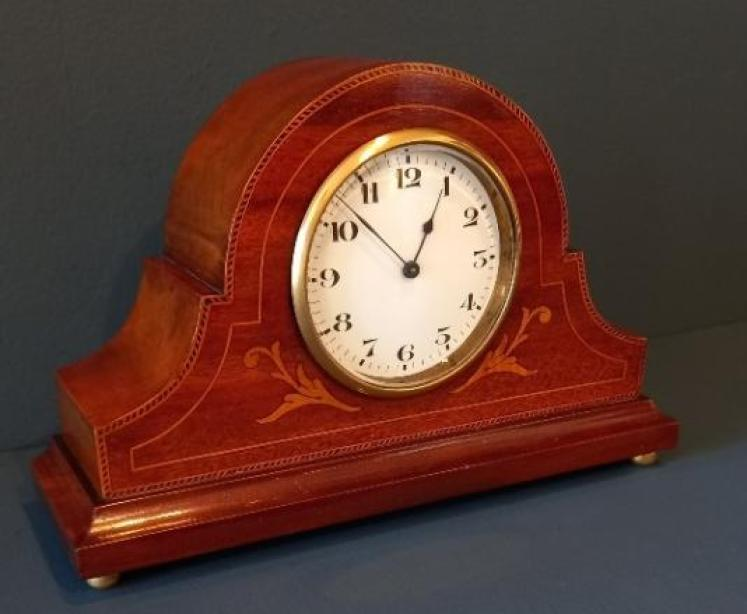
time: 12:52
